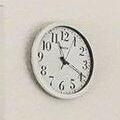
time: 11:19
